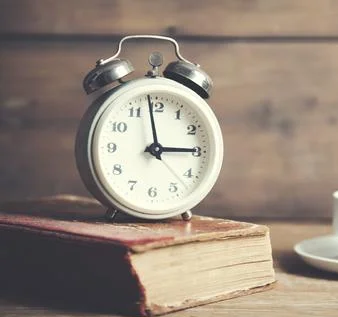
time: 2:58
